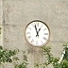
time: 12:57
